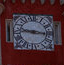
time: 9:16
